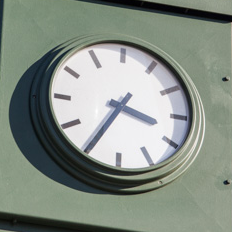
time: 3:34
